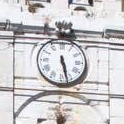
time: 5:27
